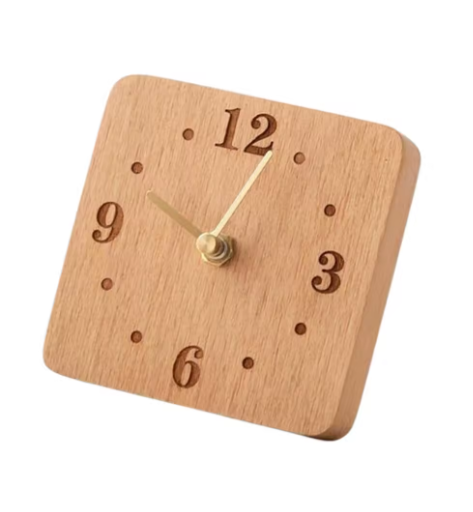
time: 10:02
